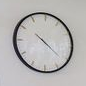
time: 10:21
